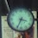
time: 3:34
